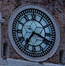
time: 7:18
